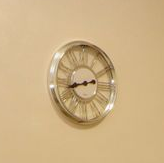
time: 8:43
